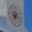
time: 7:15
